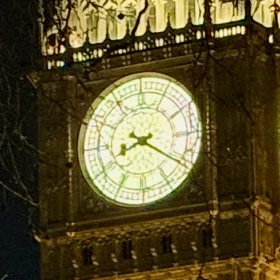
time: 8:20
